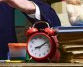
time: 8:09
